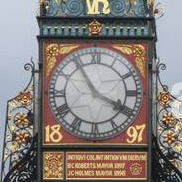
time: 3:54
